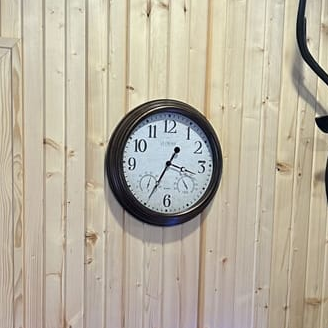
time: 3:34
